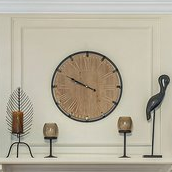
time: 9:49
